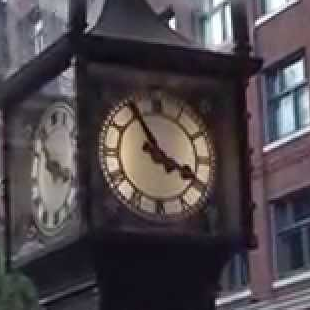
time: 3:54
